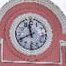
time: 11:40
